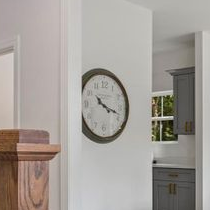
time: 10:17
